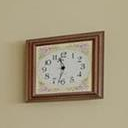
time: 11:32
